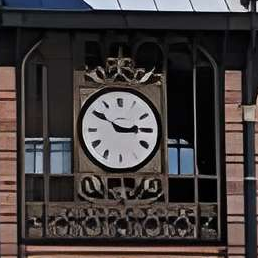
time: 2:50
